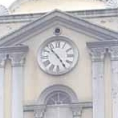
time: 4:52
